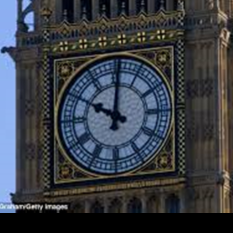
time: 10:00
